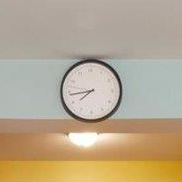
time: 7:43
